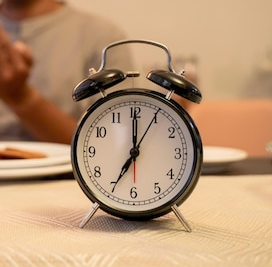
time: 7:00
